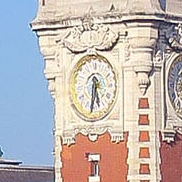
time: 5:31
